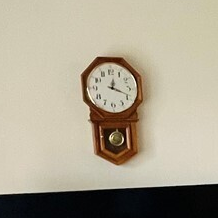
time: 12:18
